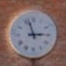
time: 2:57
